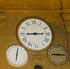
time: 2:44
